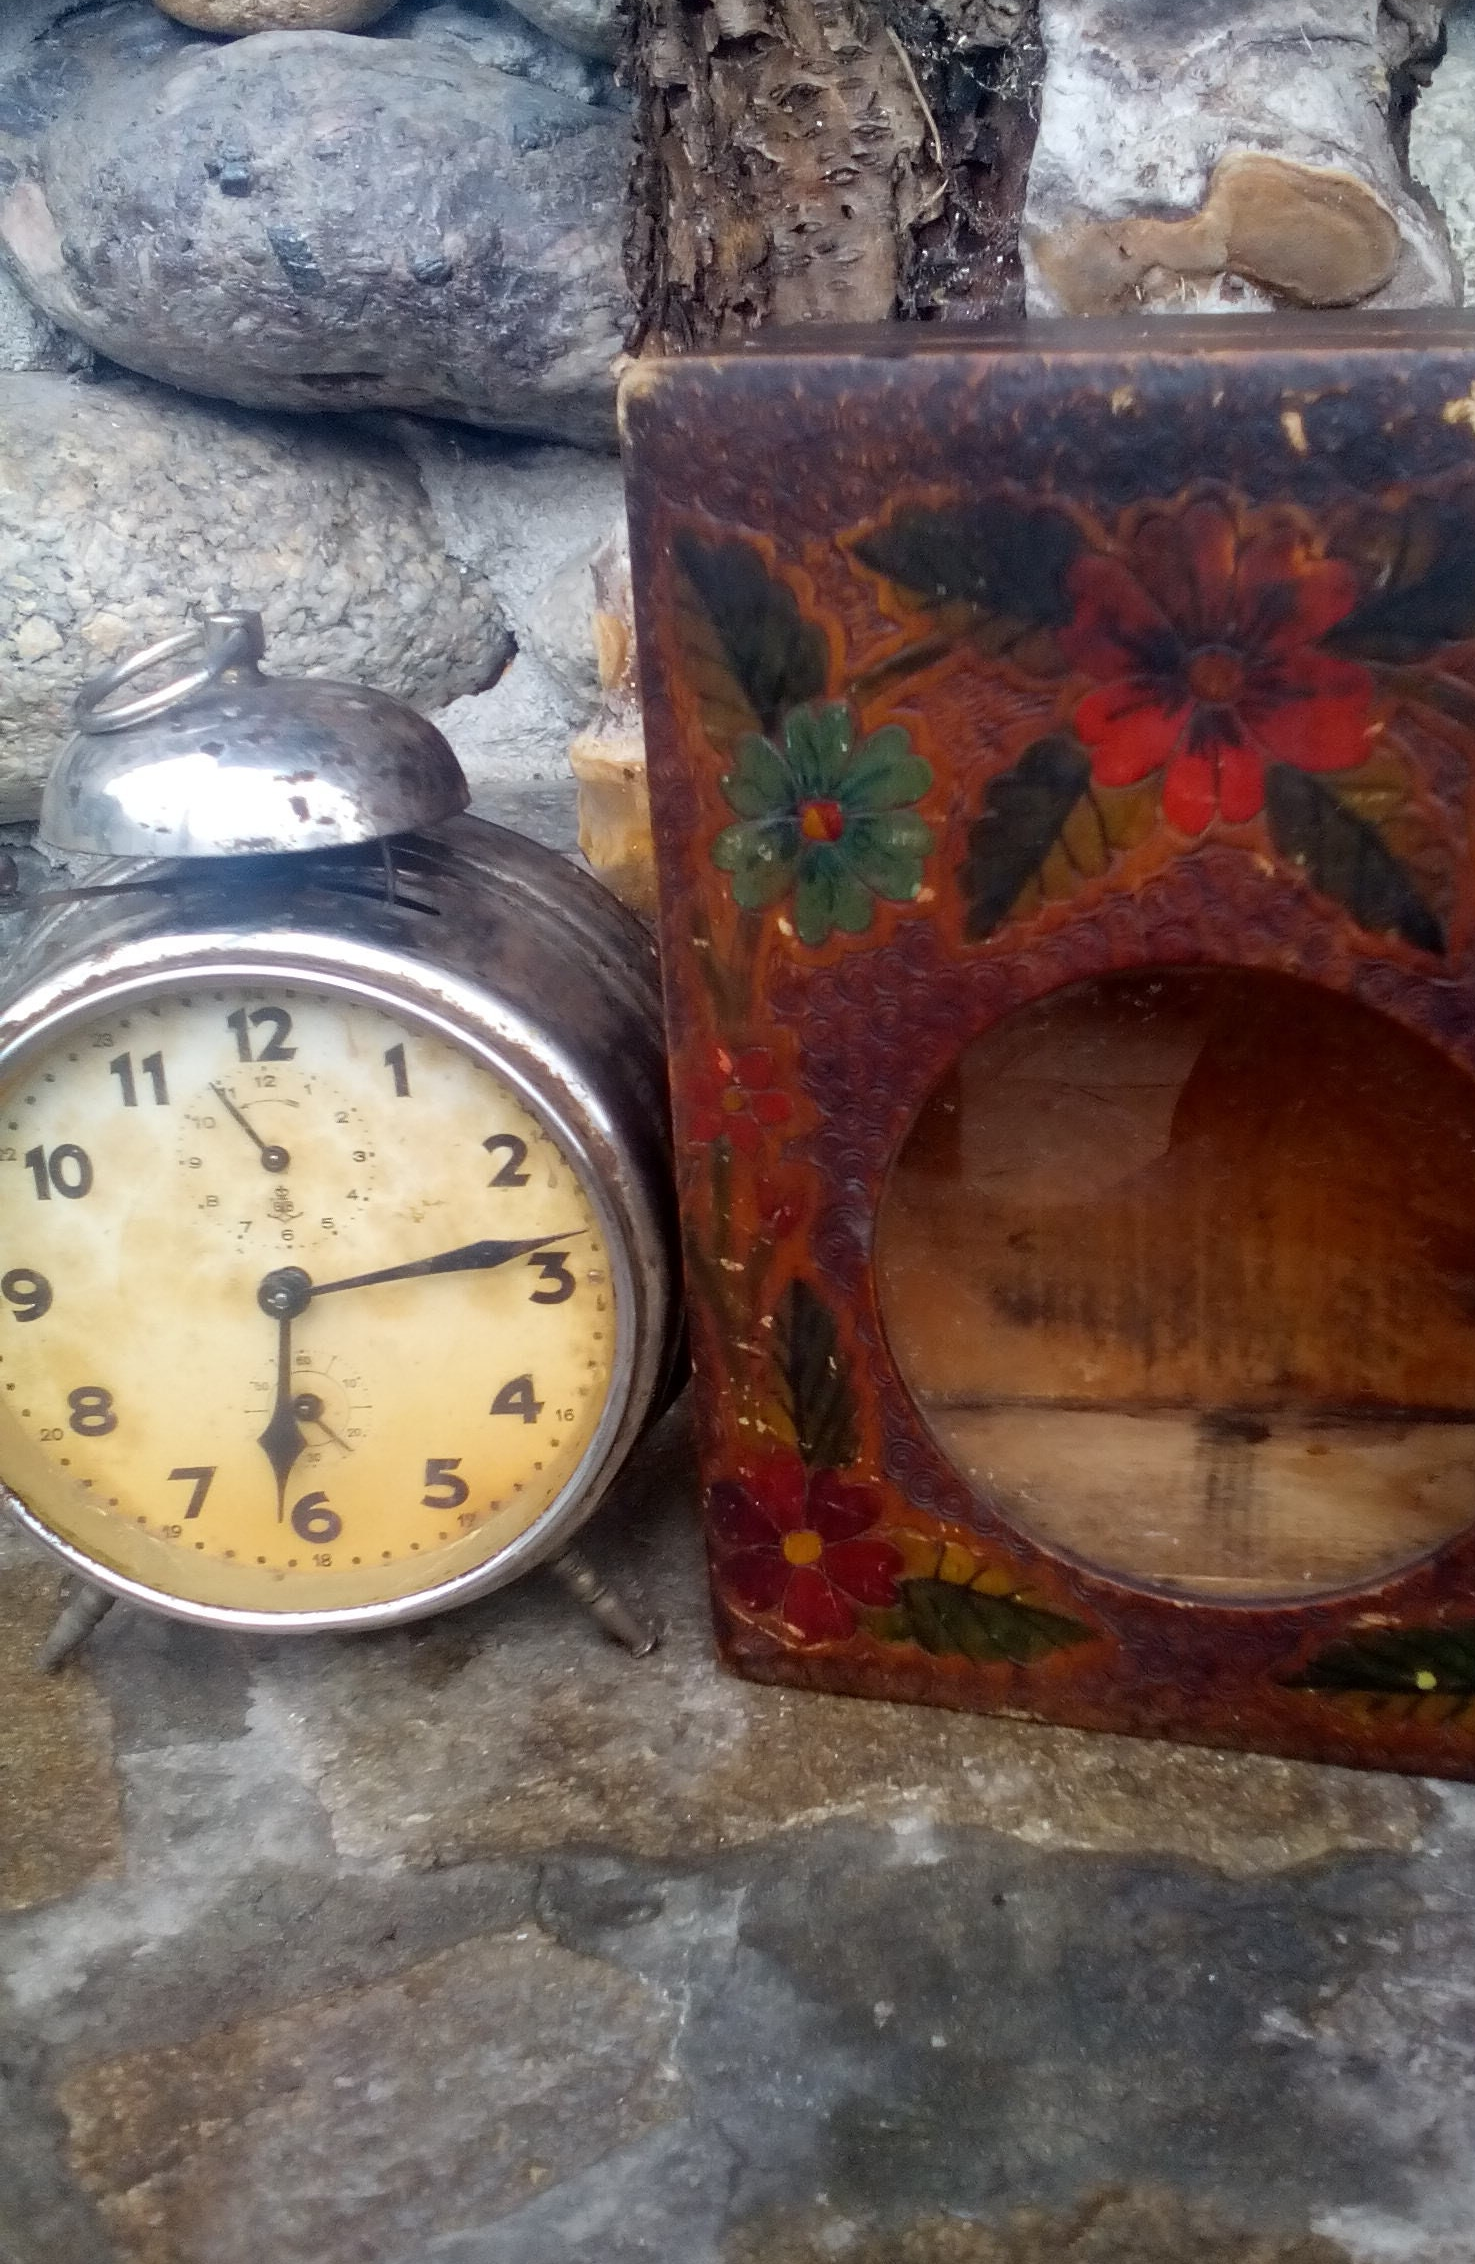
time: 6:13
